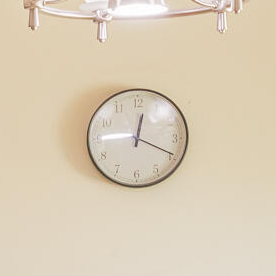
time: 12:19
